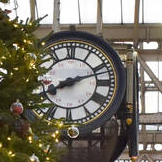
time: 8:11
